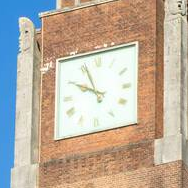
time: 9:55
